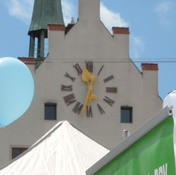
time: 11:32
